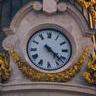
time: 4:22
